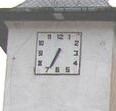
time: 6:34
